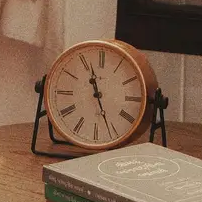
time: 11:26
